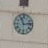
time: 11:13
